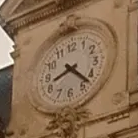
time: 8:22
